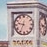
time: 9:34
